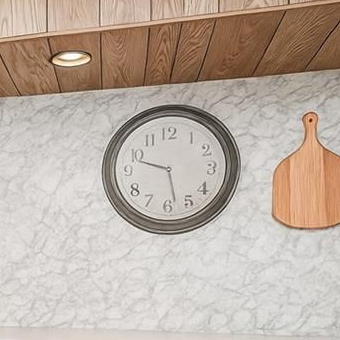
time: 9:28
